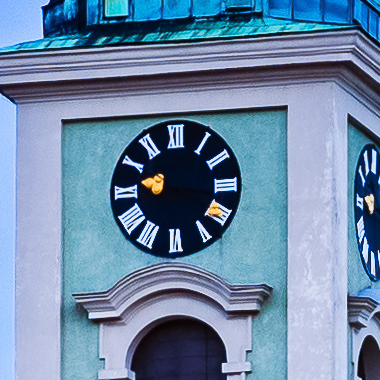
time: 3:16
